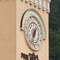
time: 6:34
